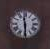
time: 11:29
